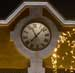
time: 11:07
